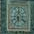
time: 6:00
